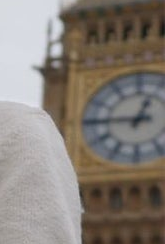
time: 12:45
